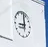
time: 9:01
